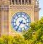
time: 3:35
